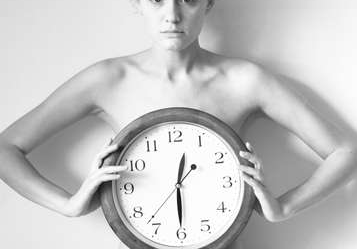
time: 12:29
